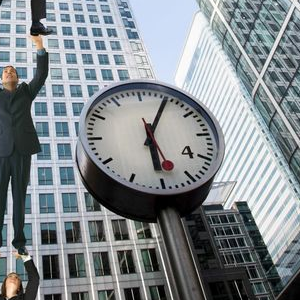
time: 6:04
